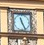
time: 11:25
